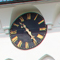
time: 10:23
